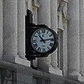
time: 11:13
